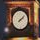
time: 2:08
